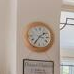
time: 1:35
